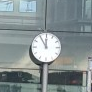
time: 11:54
